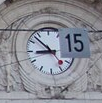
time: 8:52
